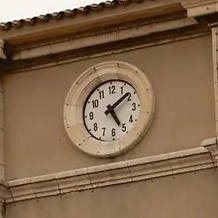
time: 5:08
